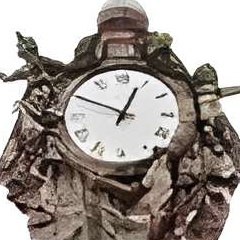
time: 12:49
